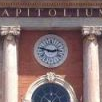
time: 2:46
